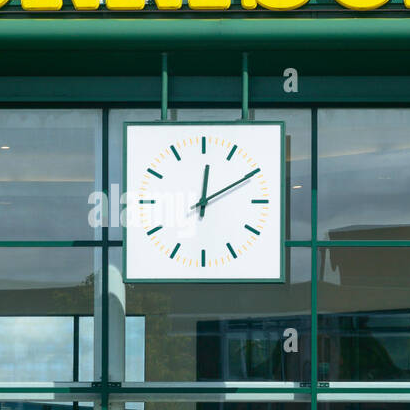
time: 12:10
